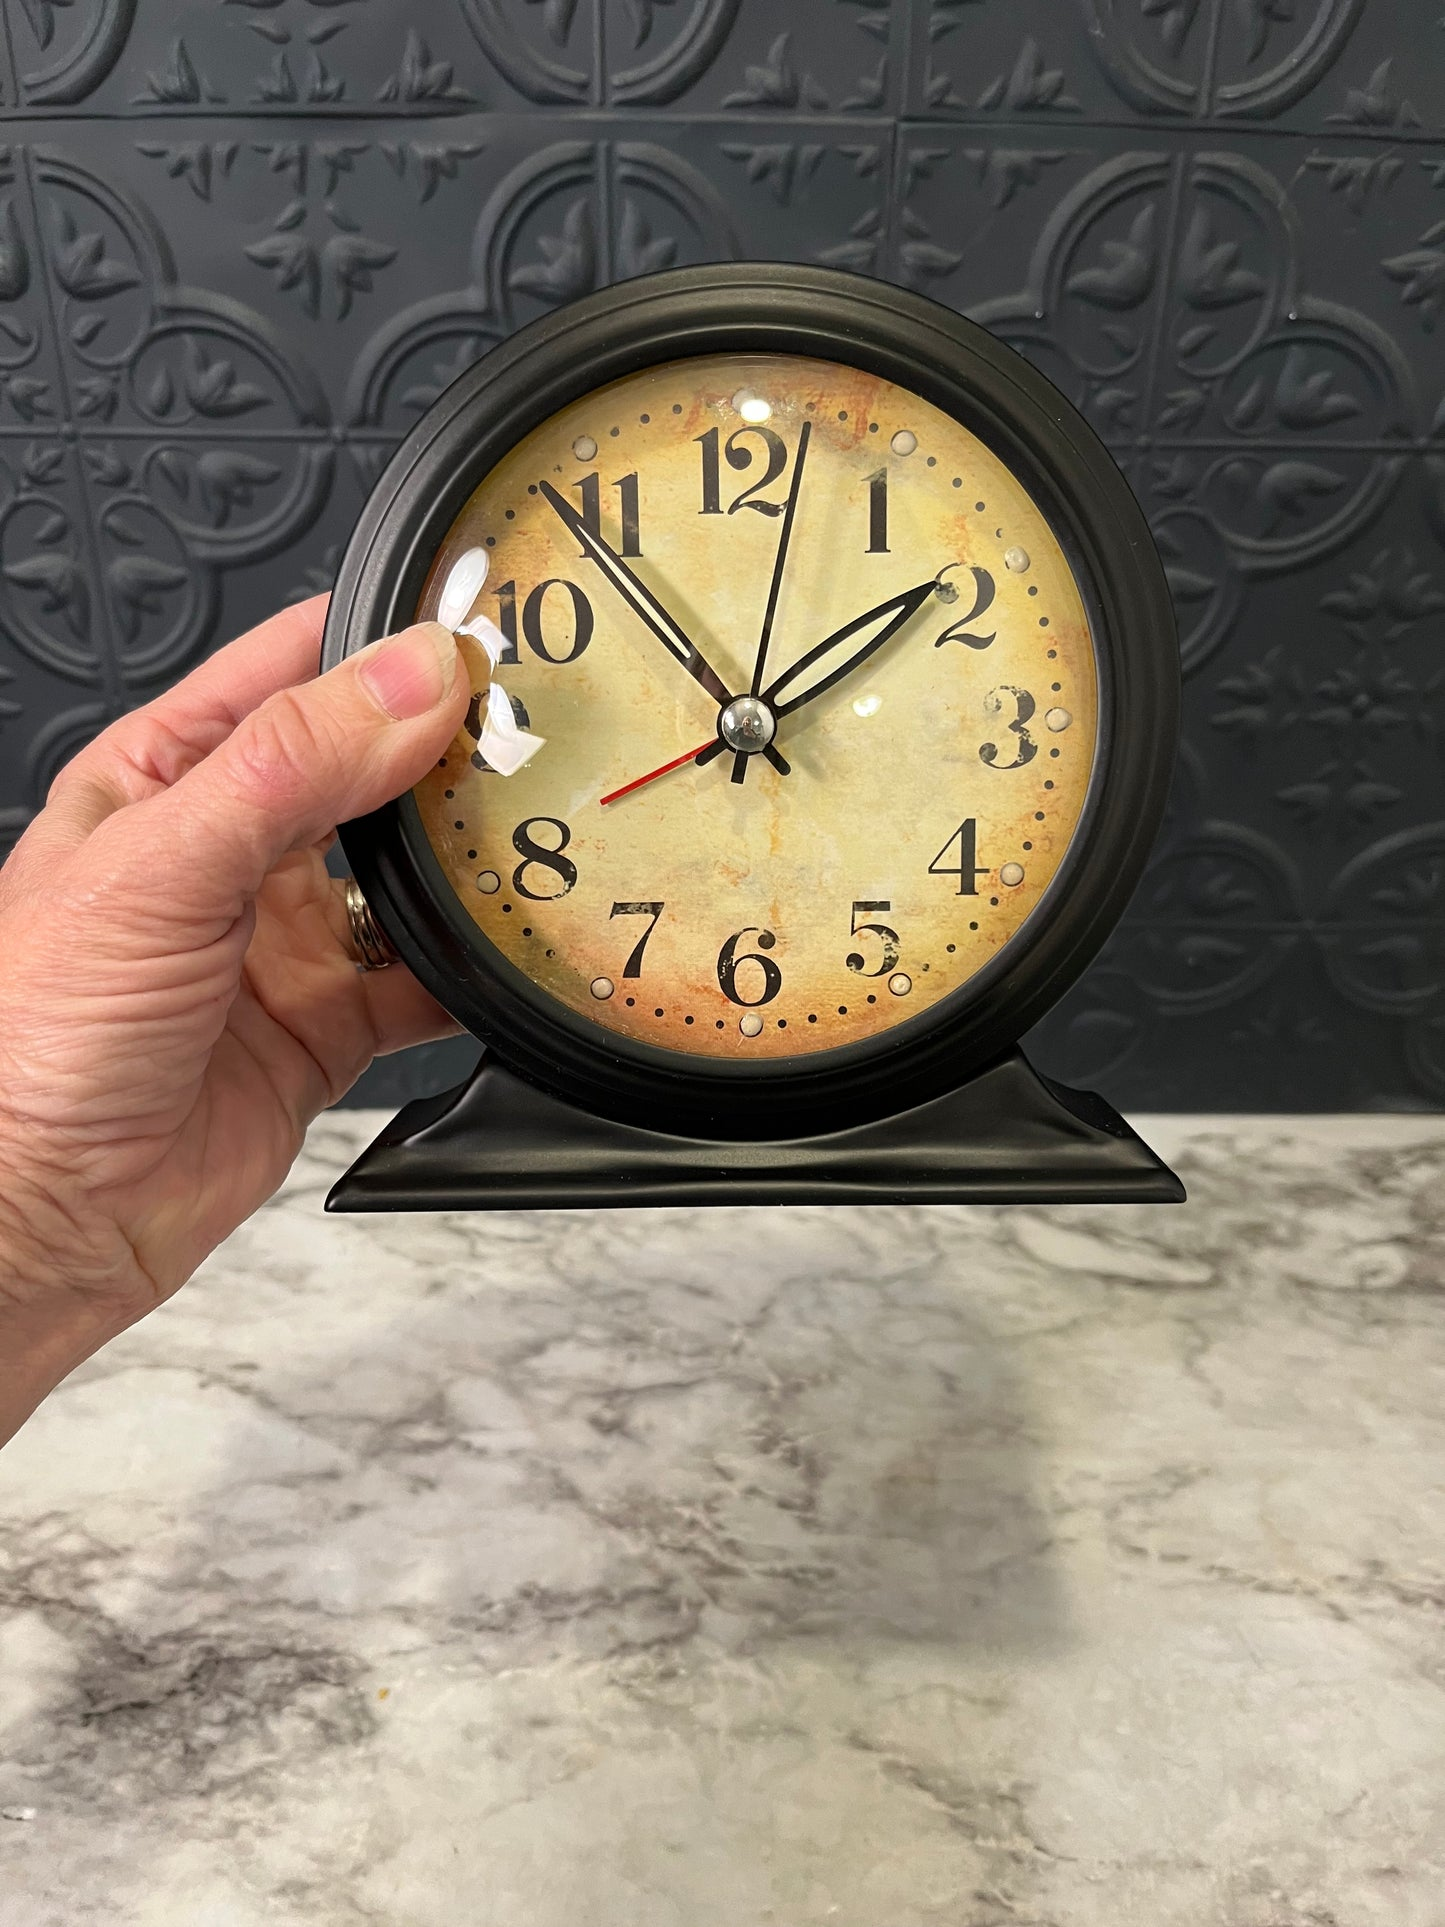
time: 1:53
